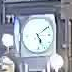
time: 5:09
